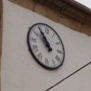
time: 10:54
